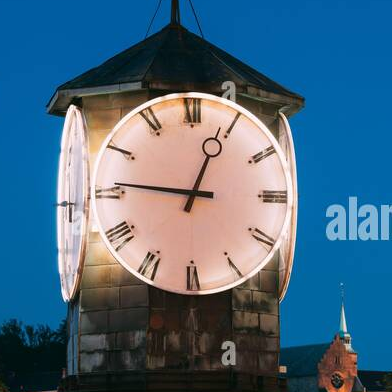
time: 12:46
